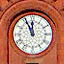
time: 11:55
